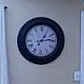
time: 1:13
